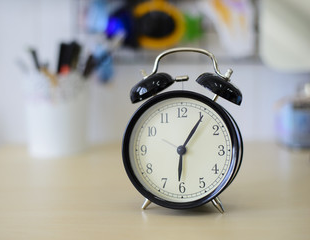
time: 6:05
